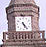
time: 5:24
